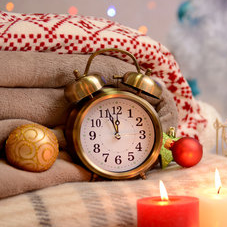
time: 11:56
